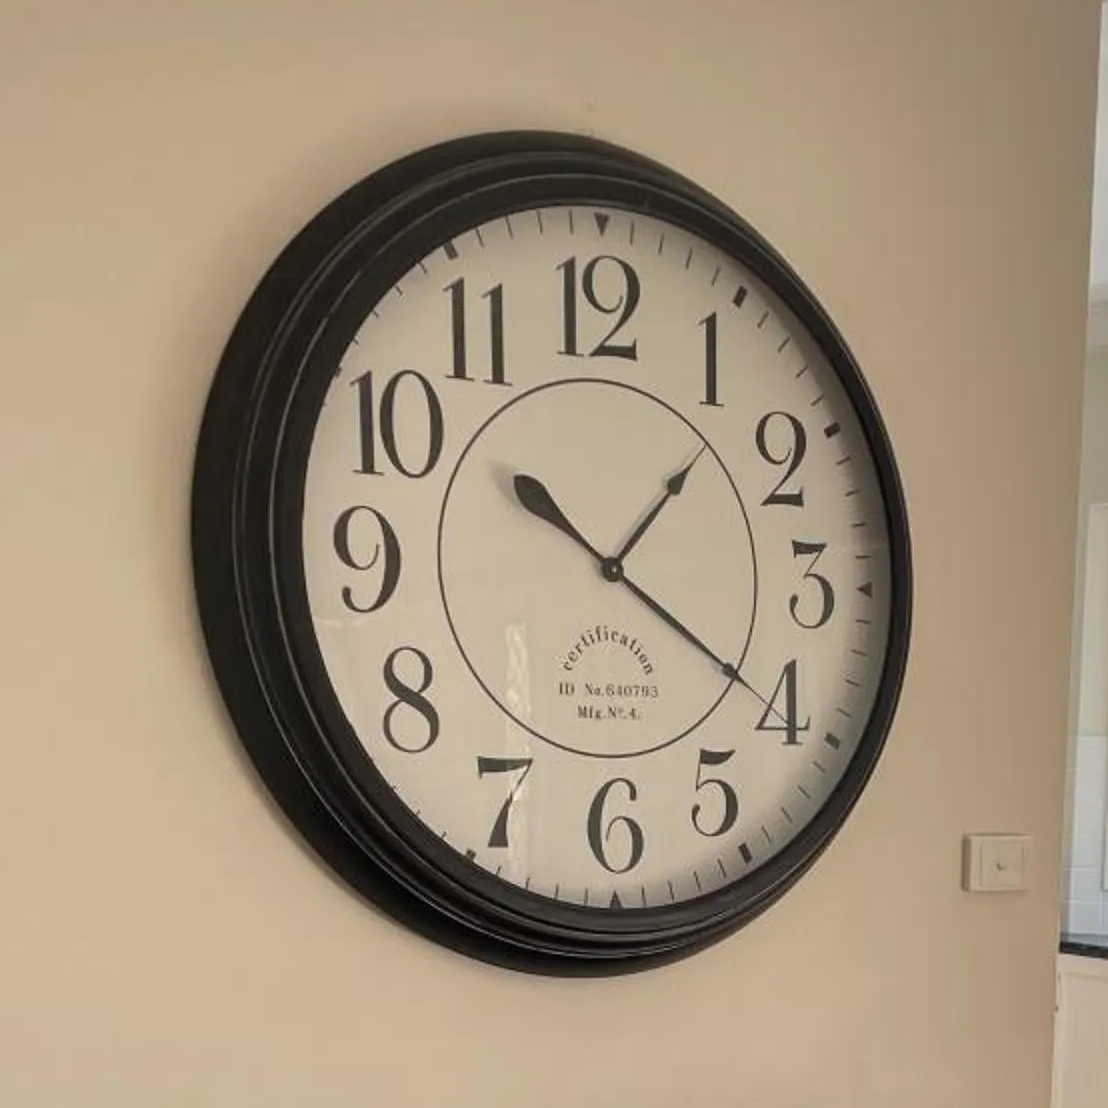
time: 1:20
